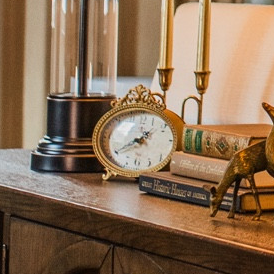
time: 1:40
